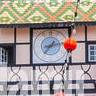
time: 7:12
